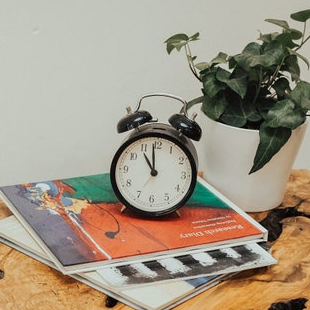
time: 10:59
